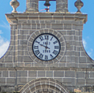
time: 10:00
